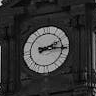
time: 2:15
